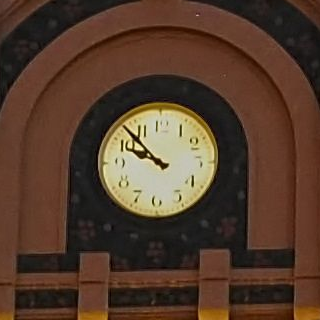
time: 9:52
